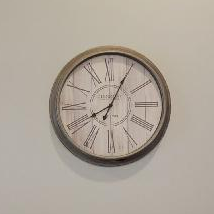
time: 8:04
